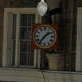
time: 1:36
